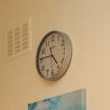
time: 4:45
